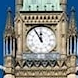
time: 11:54
